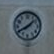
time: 1:40
